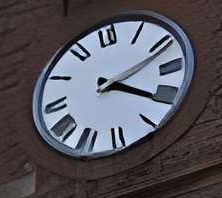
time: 4:11
